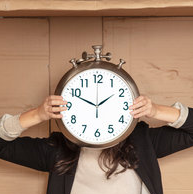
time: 1:49
